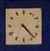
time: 4:22
